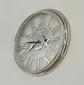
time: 7:46
